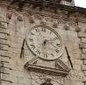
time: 6:10
